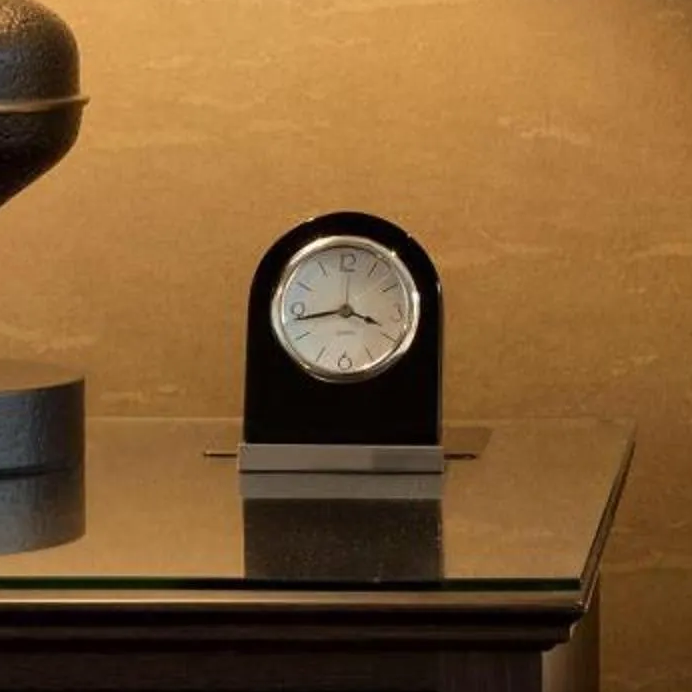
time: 3:43
